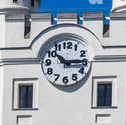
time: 10:14
